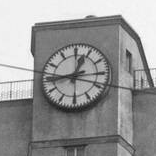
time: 12:43
